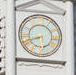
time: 5:41
